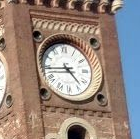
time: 4:44
